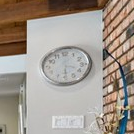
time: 3:29
